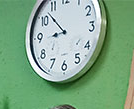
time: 8:52
